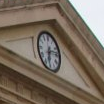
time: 6:13
